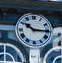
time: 10:15
